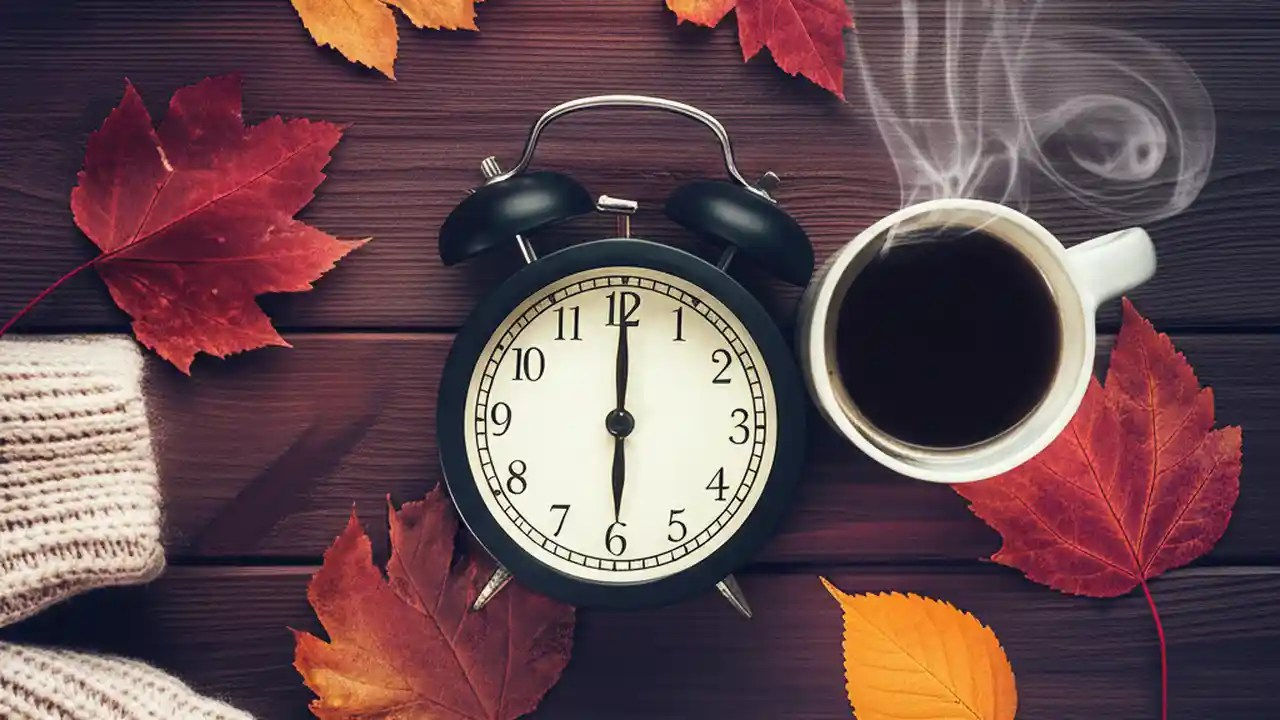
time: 6:00
